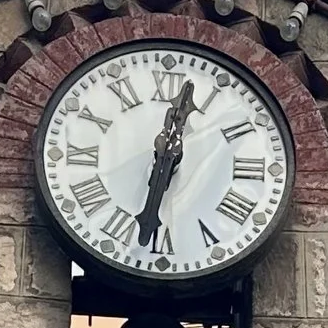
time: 12:31
